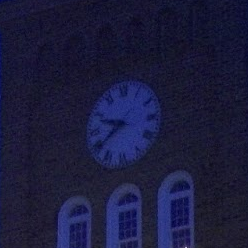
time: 9:39
